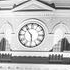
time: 5:53
